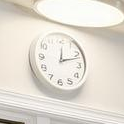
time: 12:11
